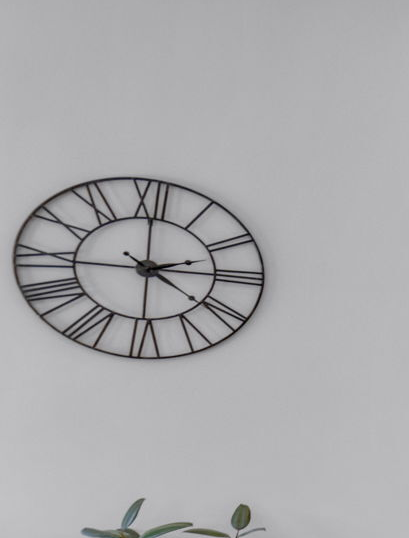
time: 2:21
